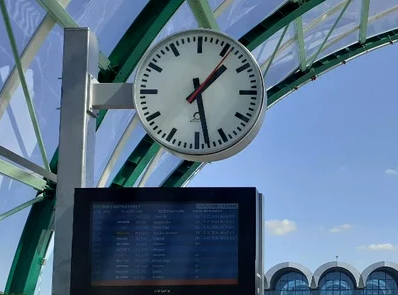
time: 1:28
